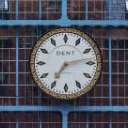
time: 7:12
